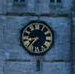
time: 8:37
